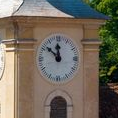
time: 11:51
